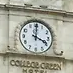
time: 4:00
